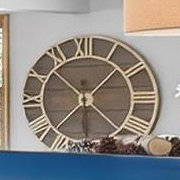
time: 1:30
